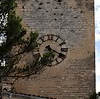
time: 5:19
